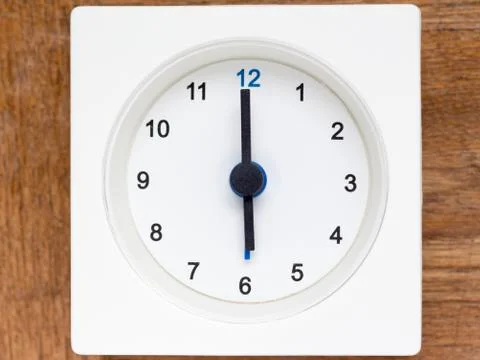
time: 5:59
